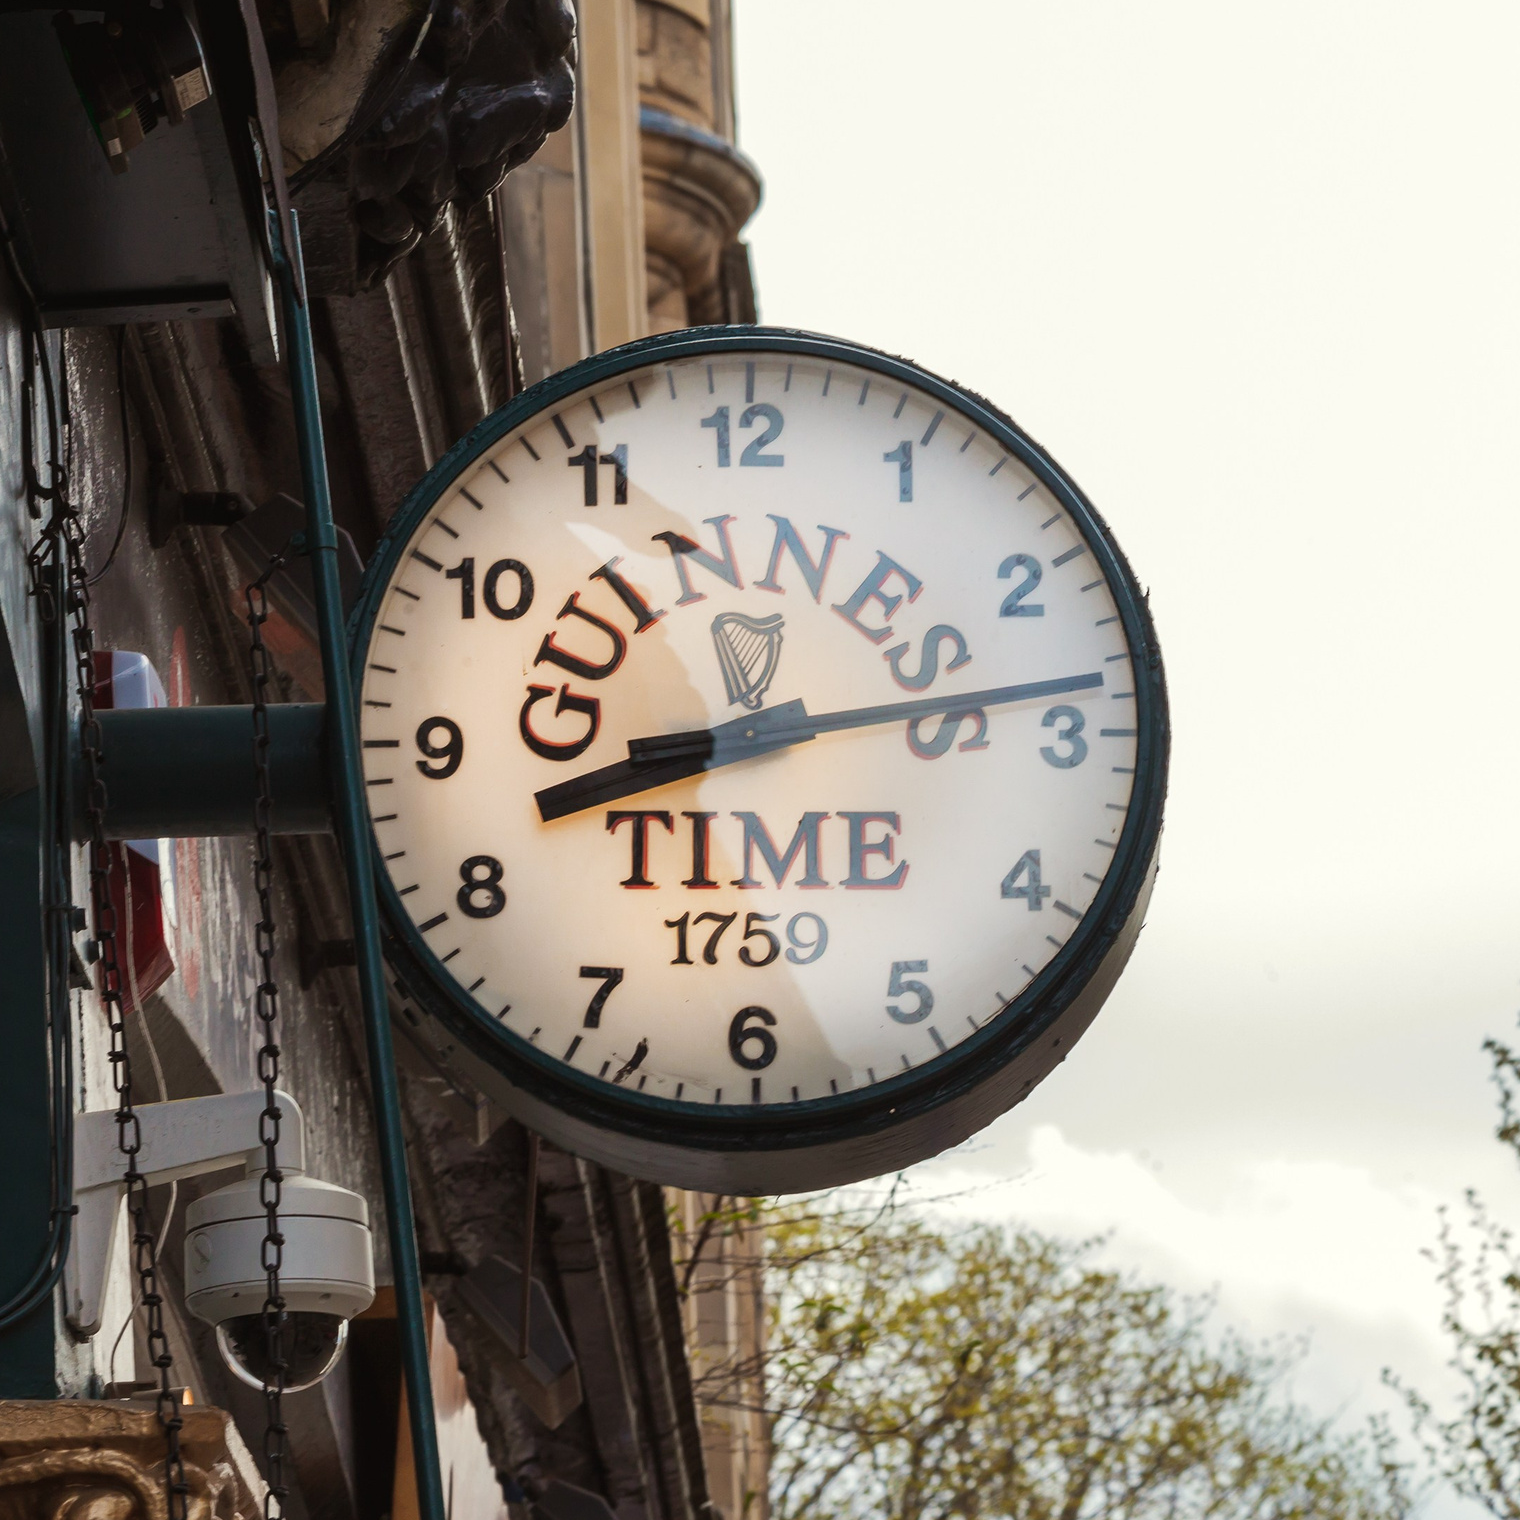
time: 8:13
